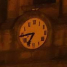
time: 6:43
